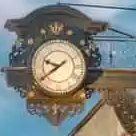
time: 9:39
